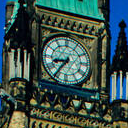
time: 8:36
